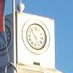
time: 4:52
